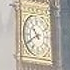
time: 10:40
